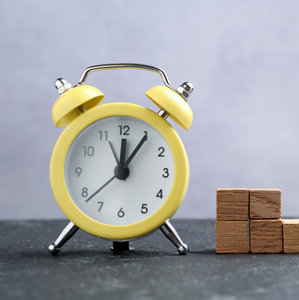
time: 12:05
